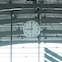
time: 9:01
